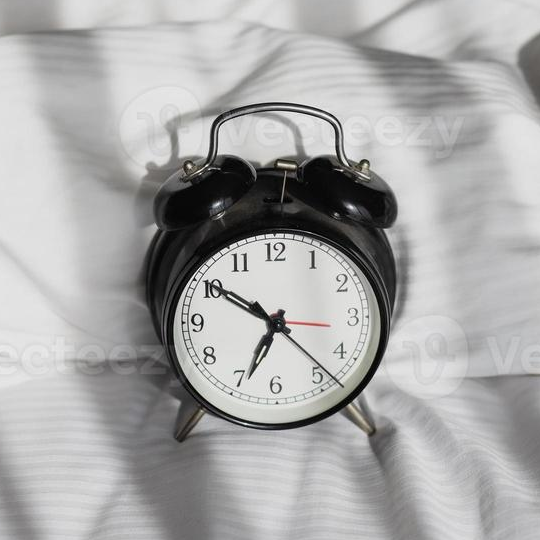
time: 6:50
